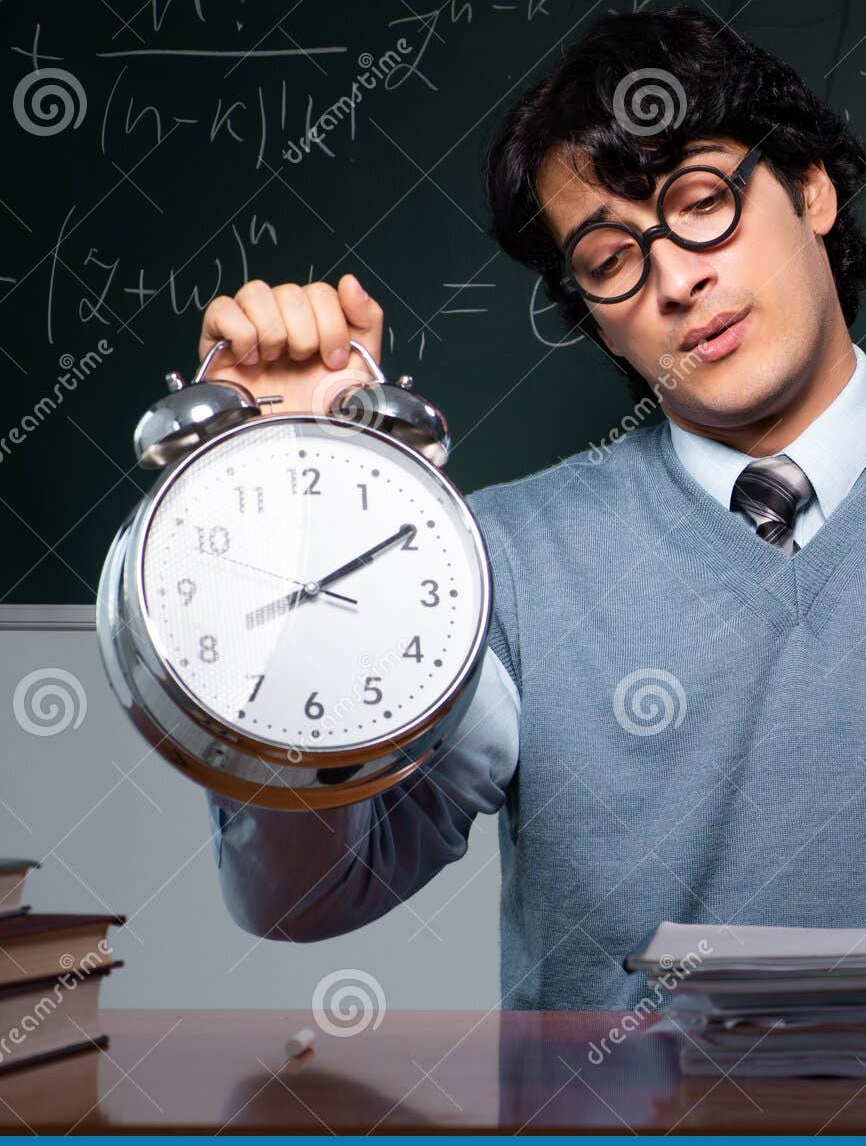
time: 2:09
